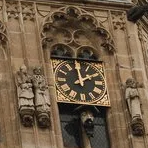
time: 1:59
